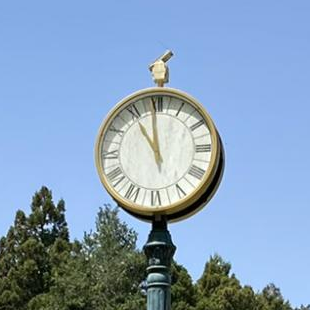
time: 10:59
